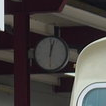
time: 12:02
